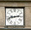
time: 2:42
